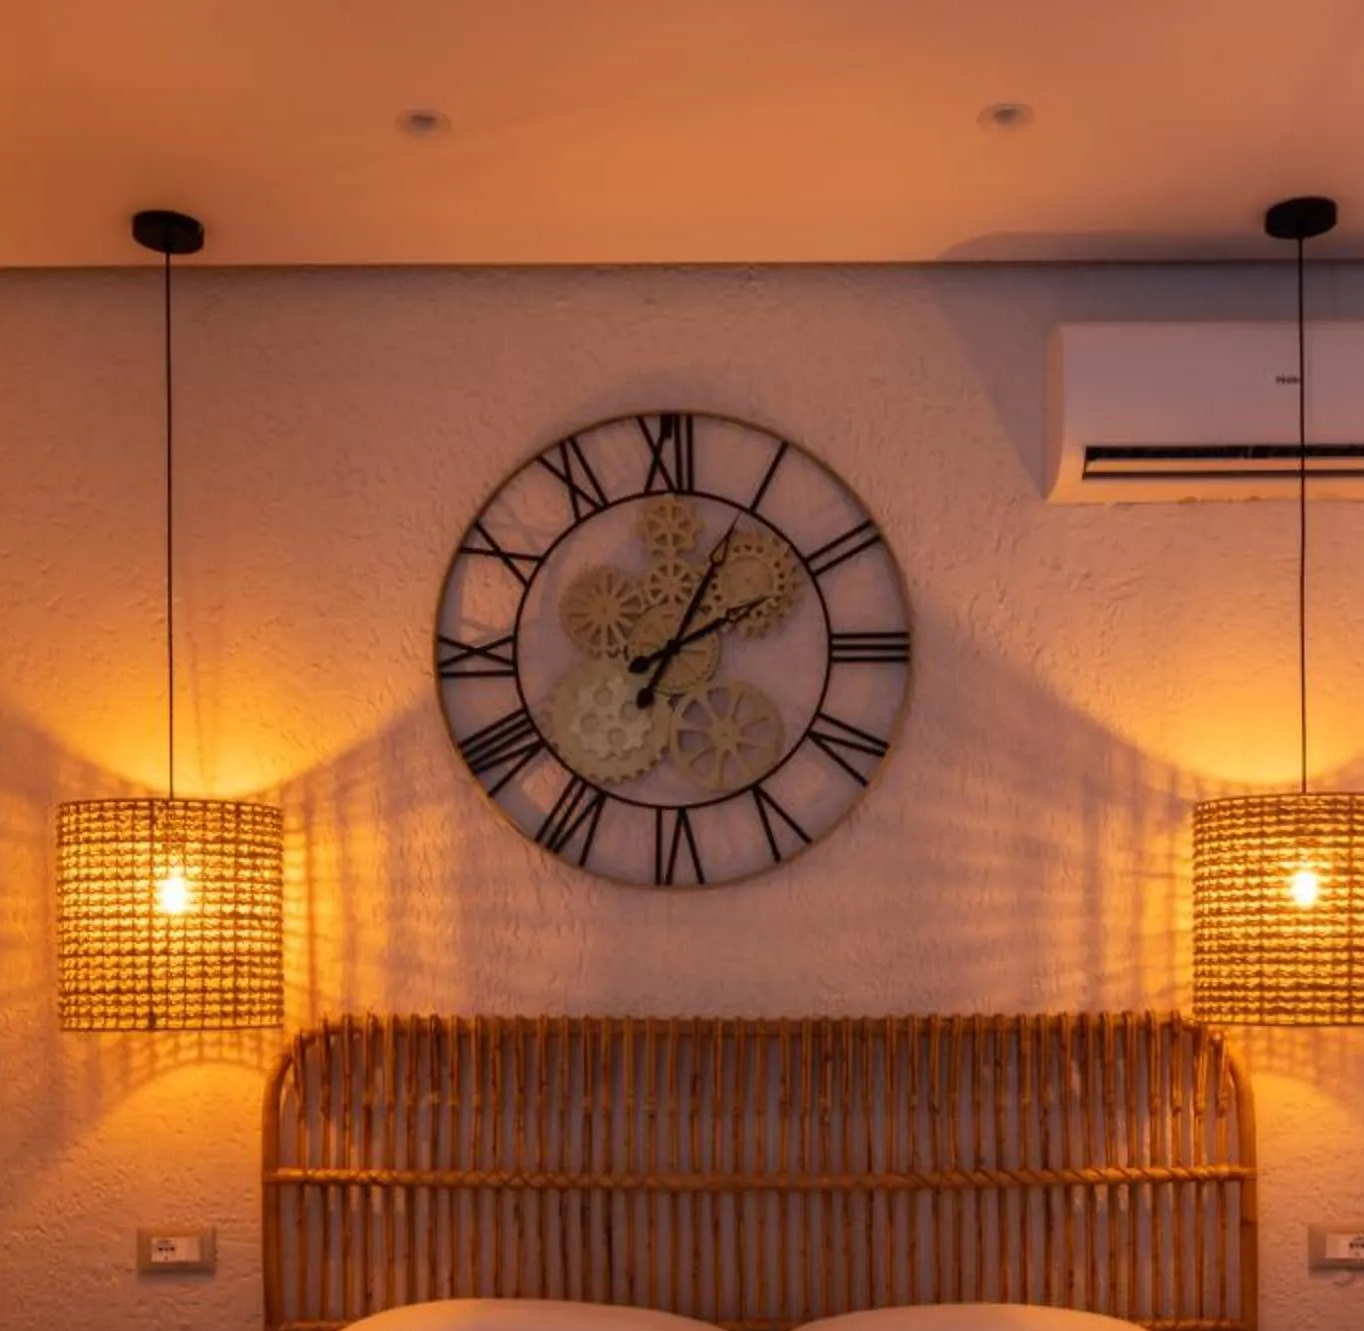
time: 2:04
